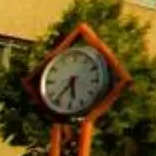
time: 5:36
